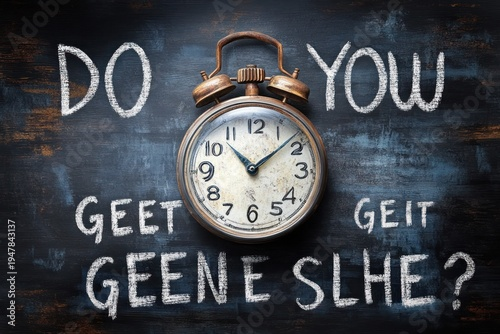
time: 11:08
